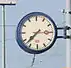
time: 7:37
